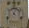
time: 4:04
